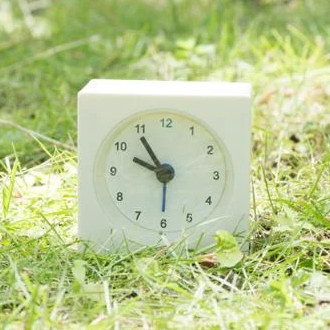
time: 9:54
